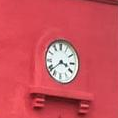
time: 3:38
